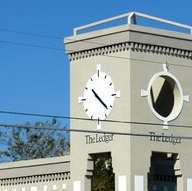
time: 10:21
